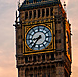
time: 8:36
